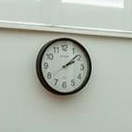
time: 2:08
